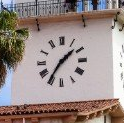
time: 1:35
